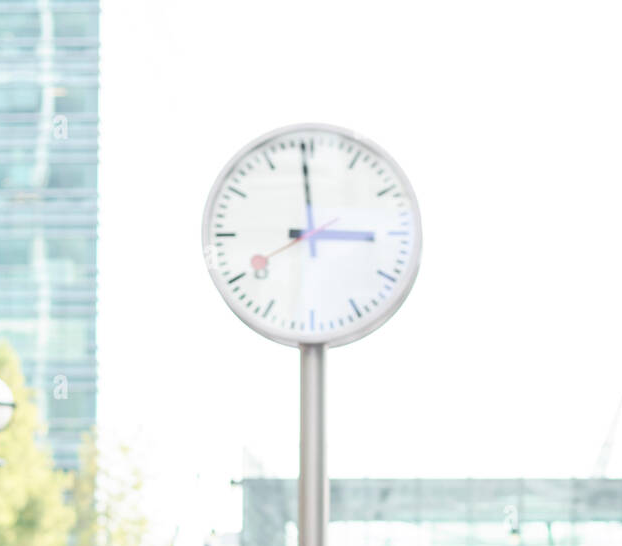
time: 2:59
